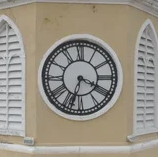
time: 3:33
